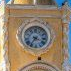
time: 3:35
